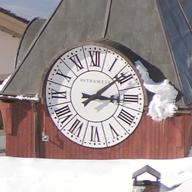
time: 3:08
